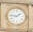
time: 1:46
